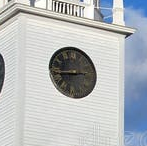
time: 8:43
